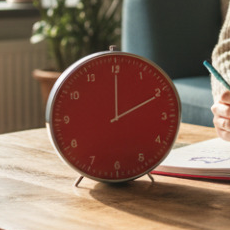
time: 2:00
